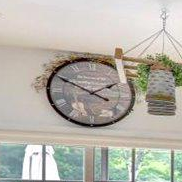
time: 1:49
